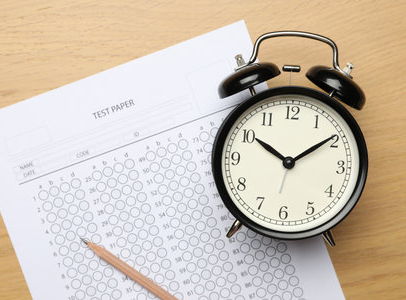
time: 10:09
